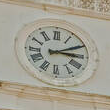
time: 3:10
